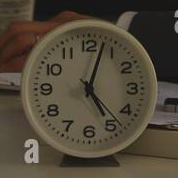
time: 5:03
